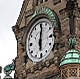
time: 6:01
